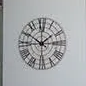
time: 1:50
